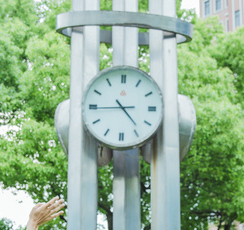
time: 4:44
